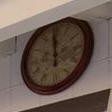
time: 11:59
